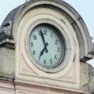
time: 6:56
